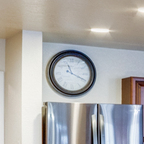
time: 11:19
